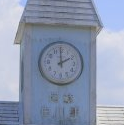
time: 1:59
